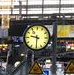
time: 9:30
